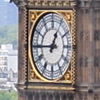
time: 12:45
